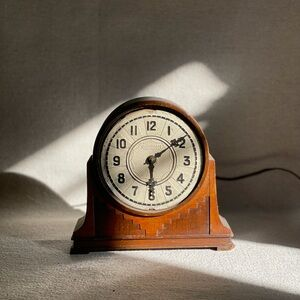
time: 6:09
